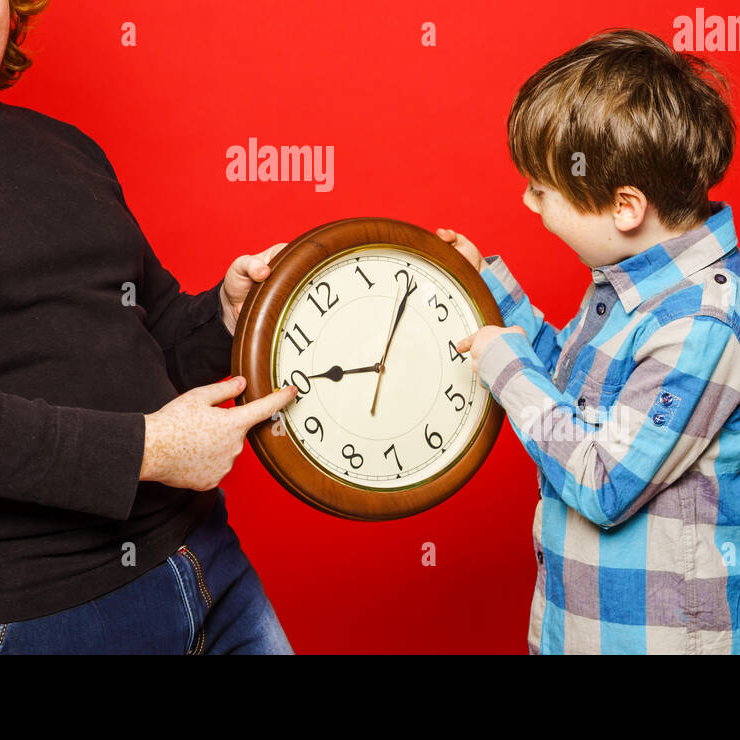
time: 9:05
